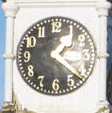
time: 1:22
